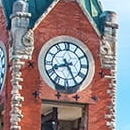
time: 8:25
